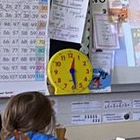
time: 12:28
